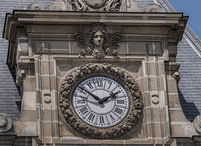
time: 1:51
